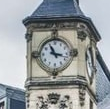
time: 11:17
